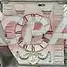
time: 3:32
